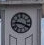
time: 9:19
